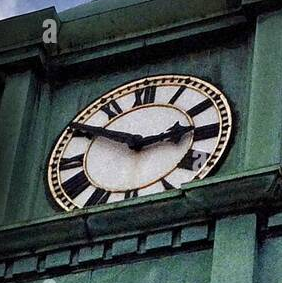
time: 2:50
